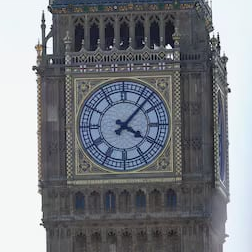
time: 4:07
